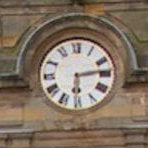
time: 6:13
